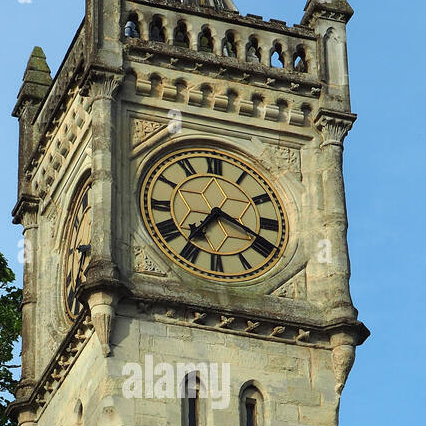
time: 7:18
